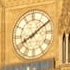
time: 8:09
